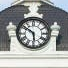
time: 5:51
